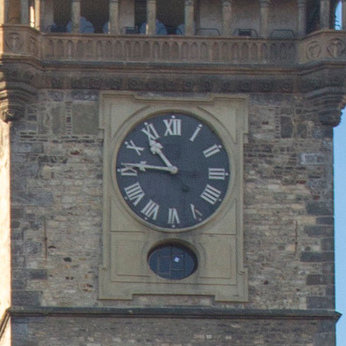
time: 10:45
